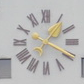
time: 1:19
